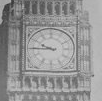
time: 9:44
